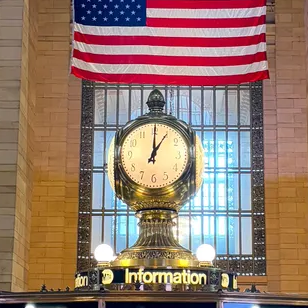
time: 1:00
